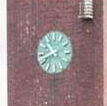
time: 10:41
